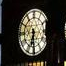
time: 6:29
